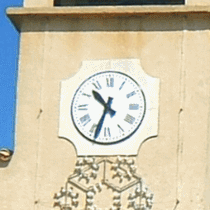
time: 10:33
